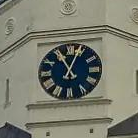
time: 11:03
